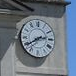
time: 2:39
